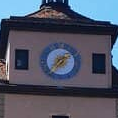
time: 1:37
